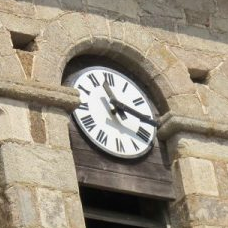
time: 2:57
